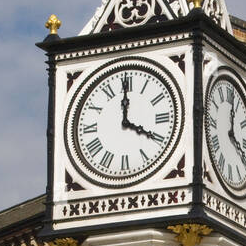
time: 3:59
